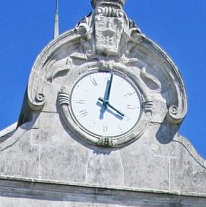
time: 4:01
